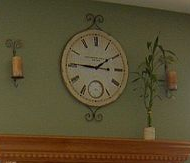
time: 1:45
